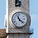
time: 11:22
